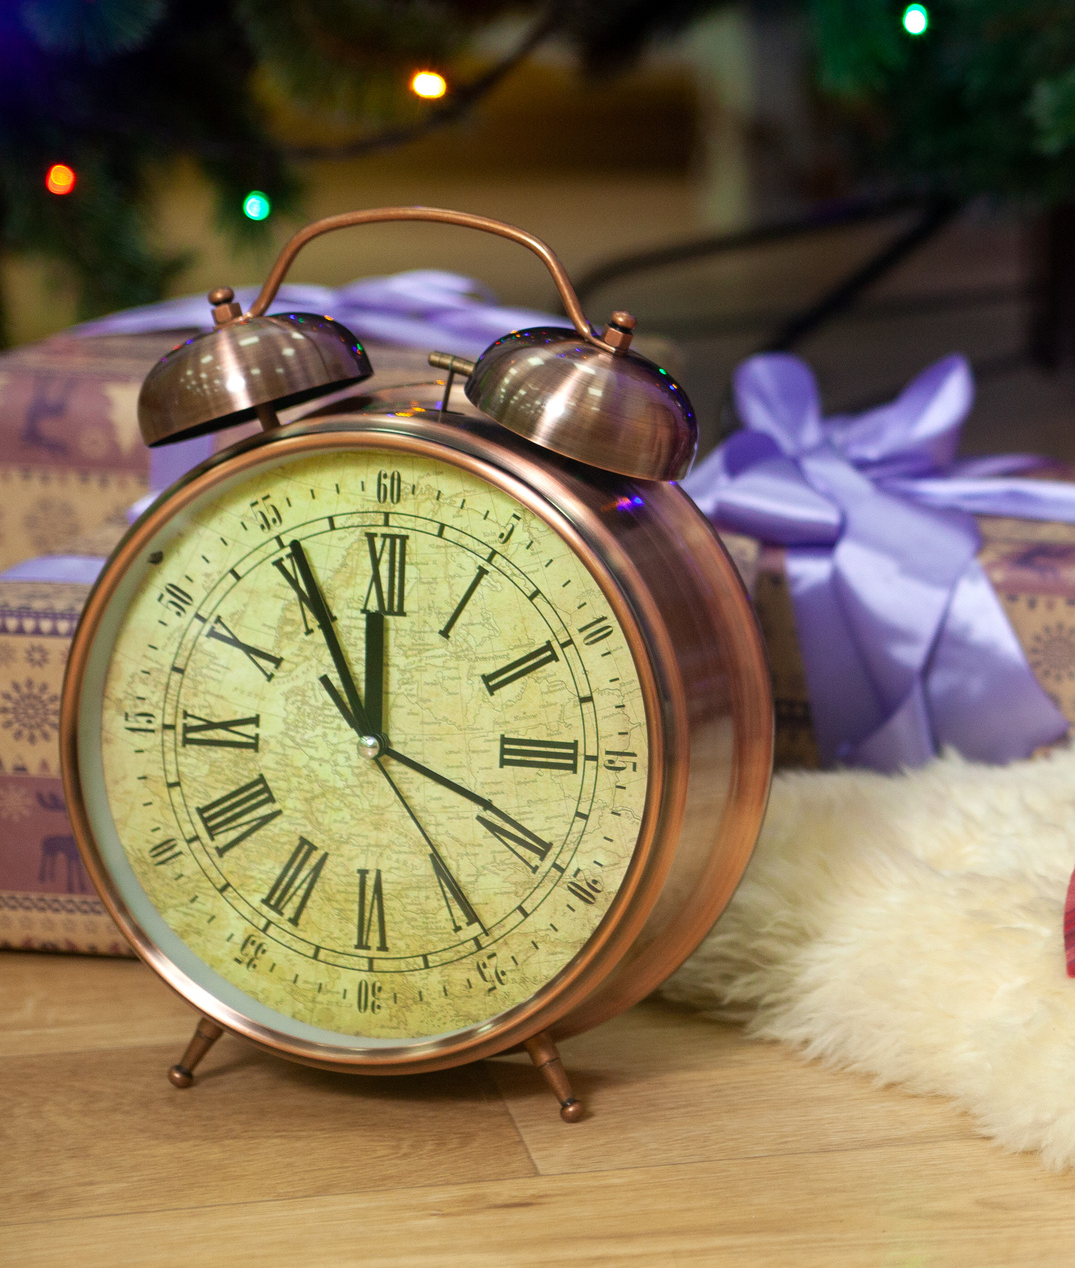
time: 11:55
